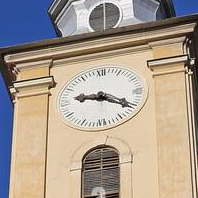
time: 9:20
